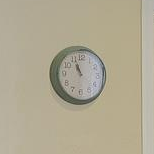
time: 10:56
